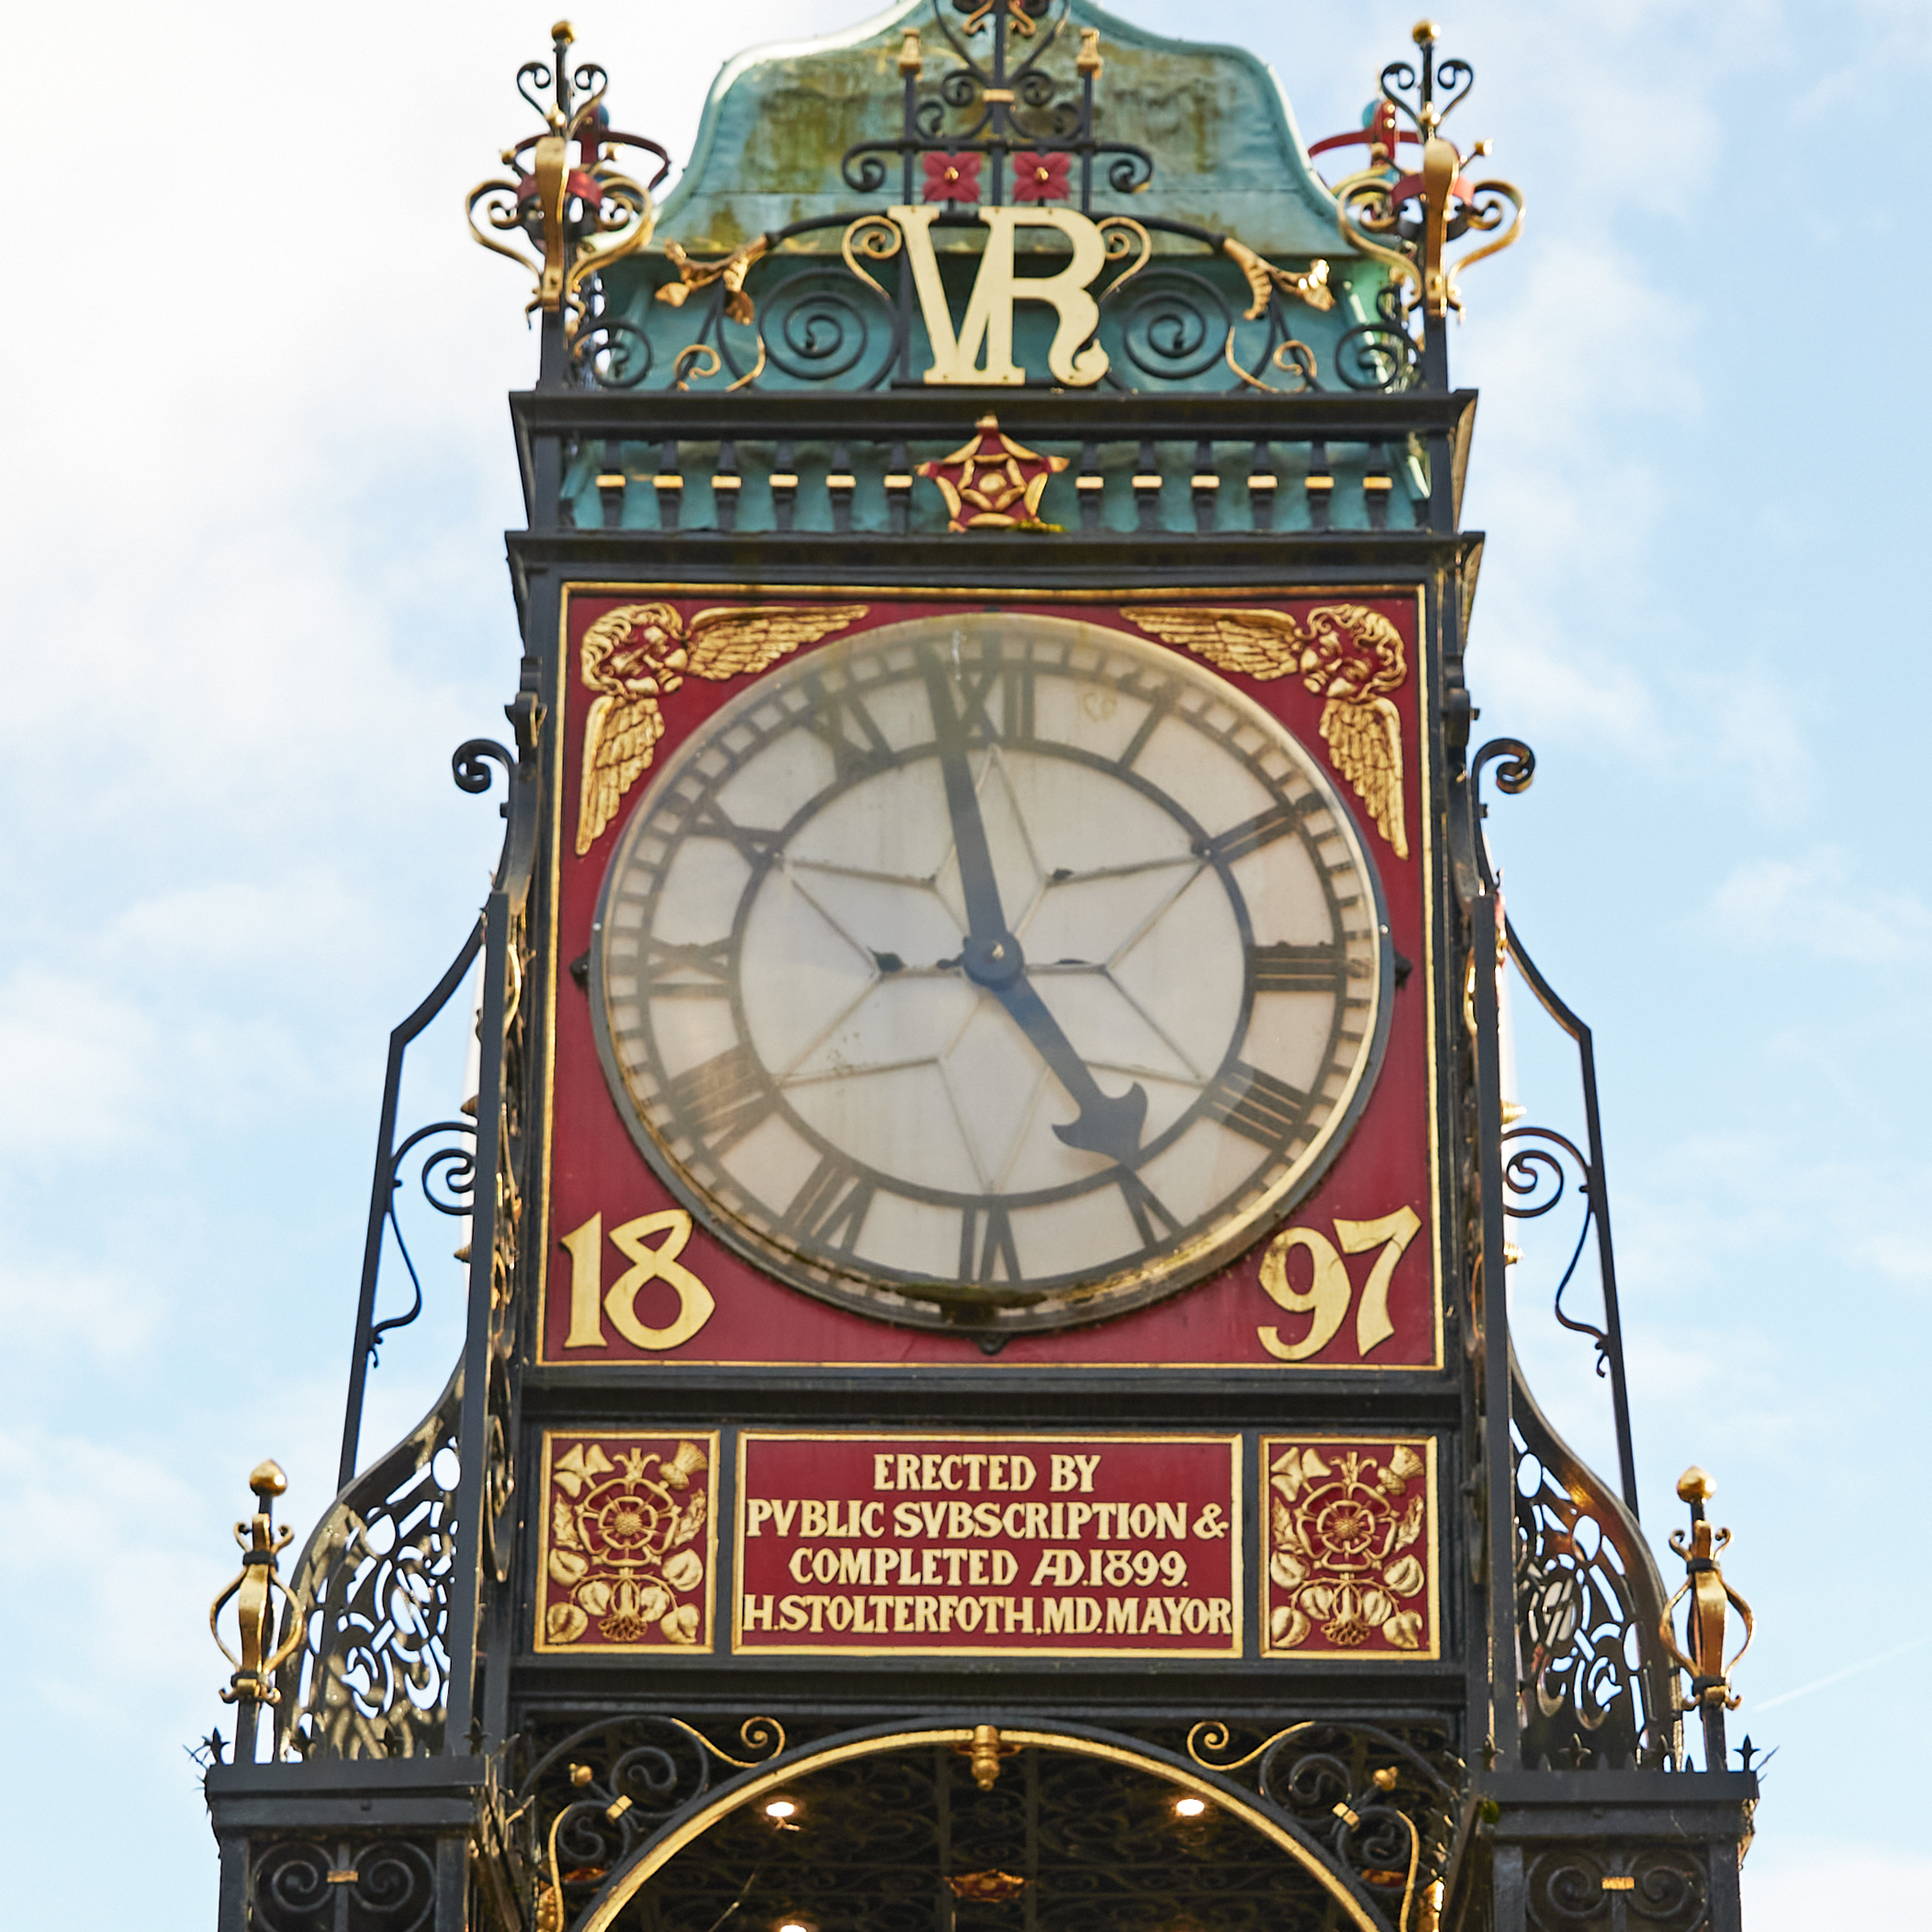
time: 4:58
